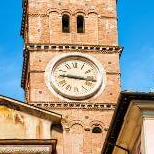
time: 9:16
